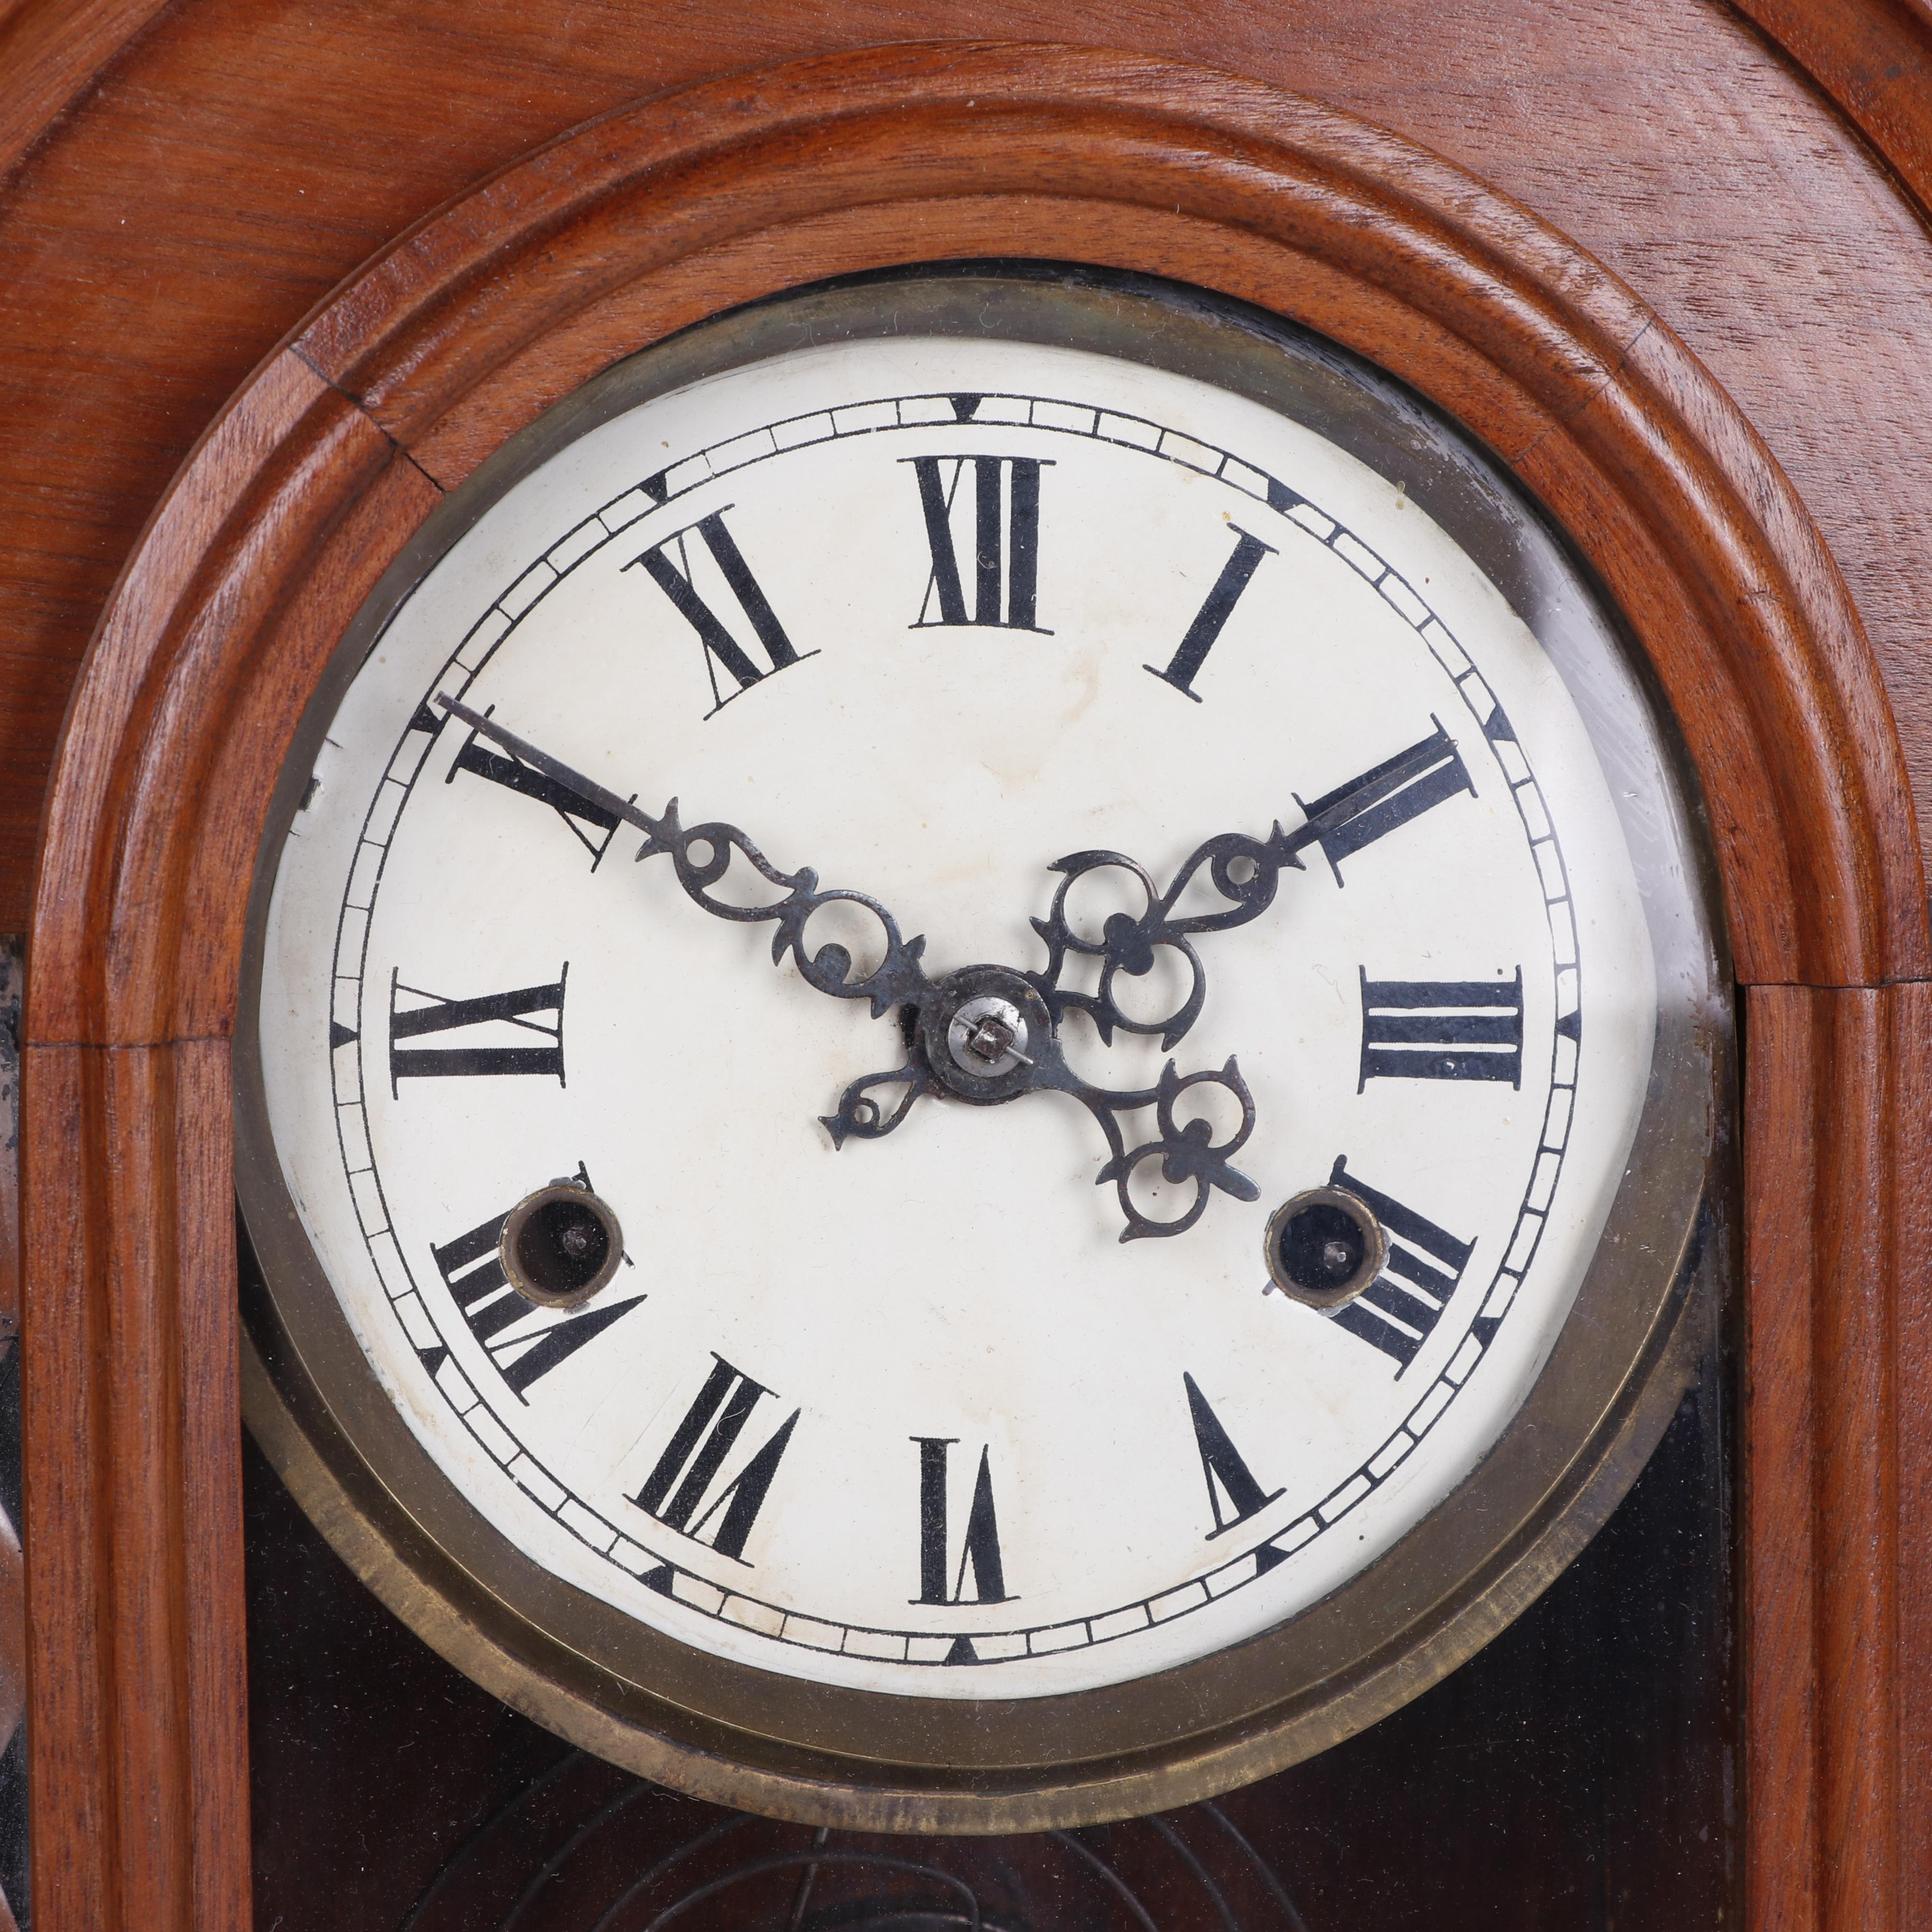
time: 1:50
